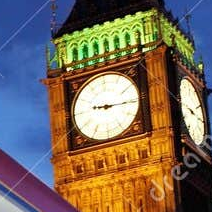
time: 9:15
